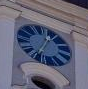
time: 12:34
